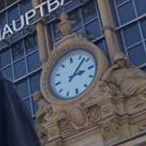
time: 2:02
